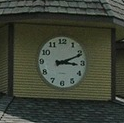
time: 3:11
